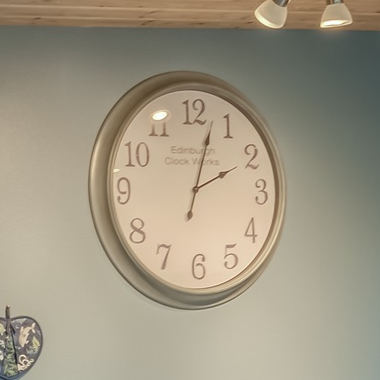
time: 2:02
